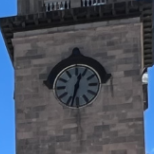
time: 12:32
